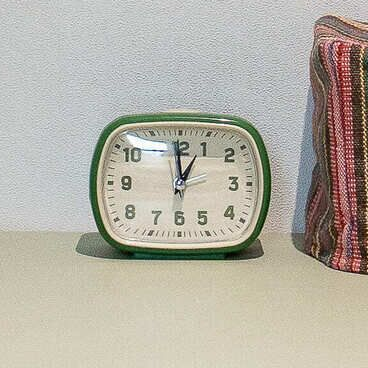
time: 12:59
